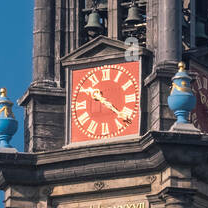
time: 10:21
